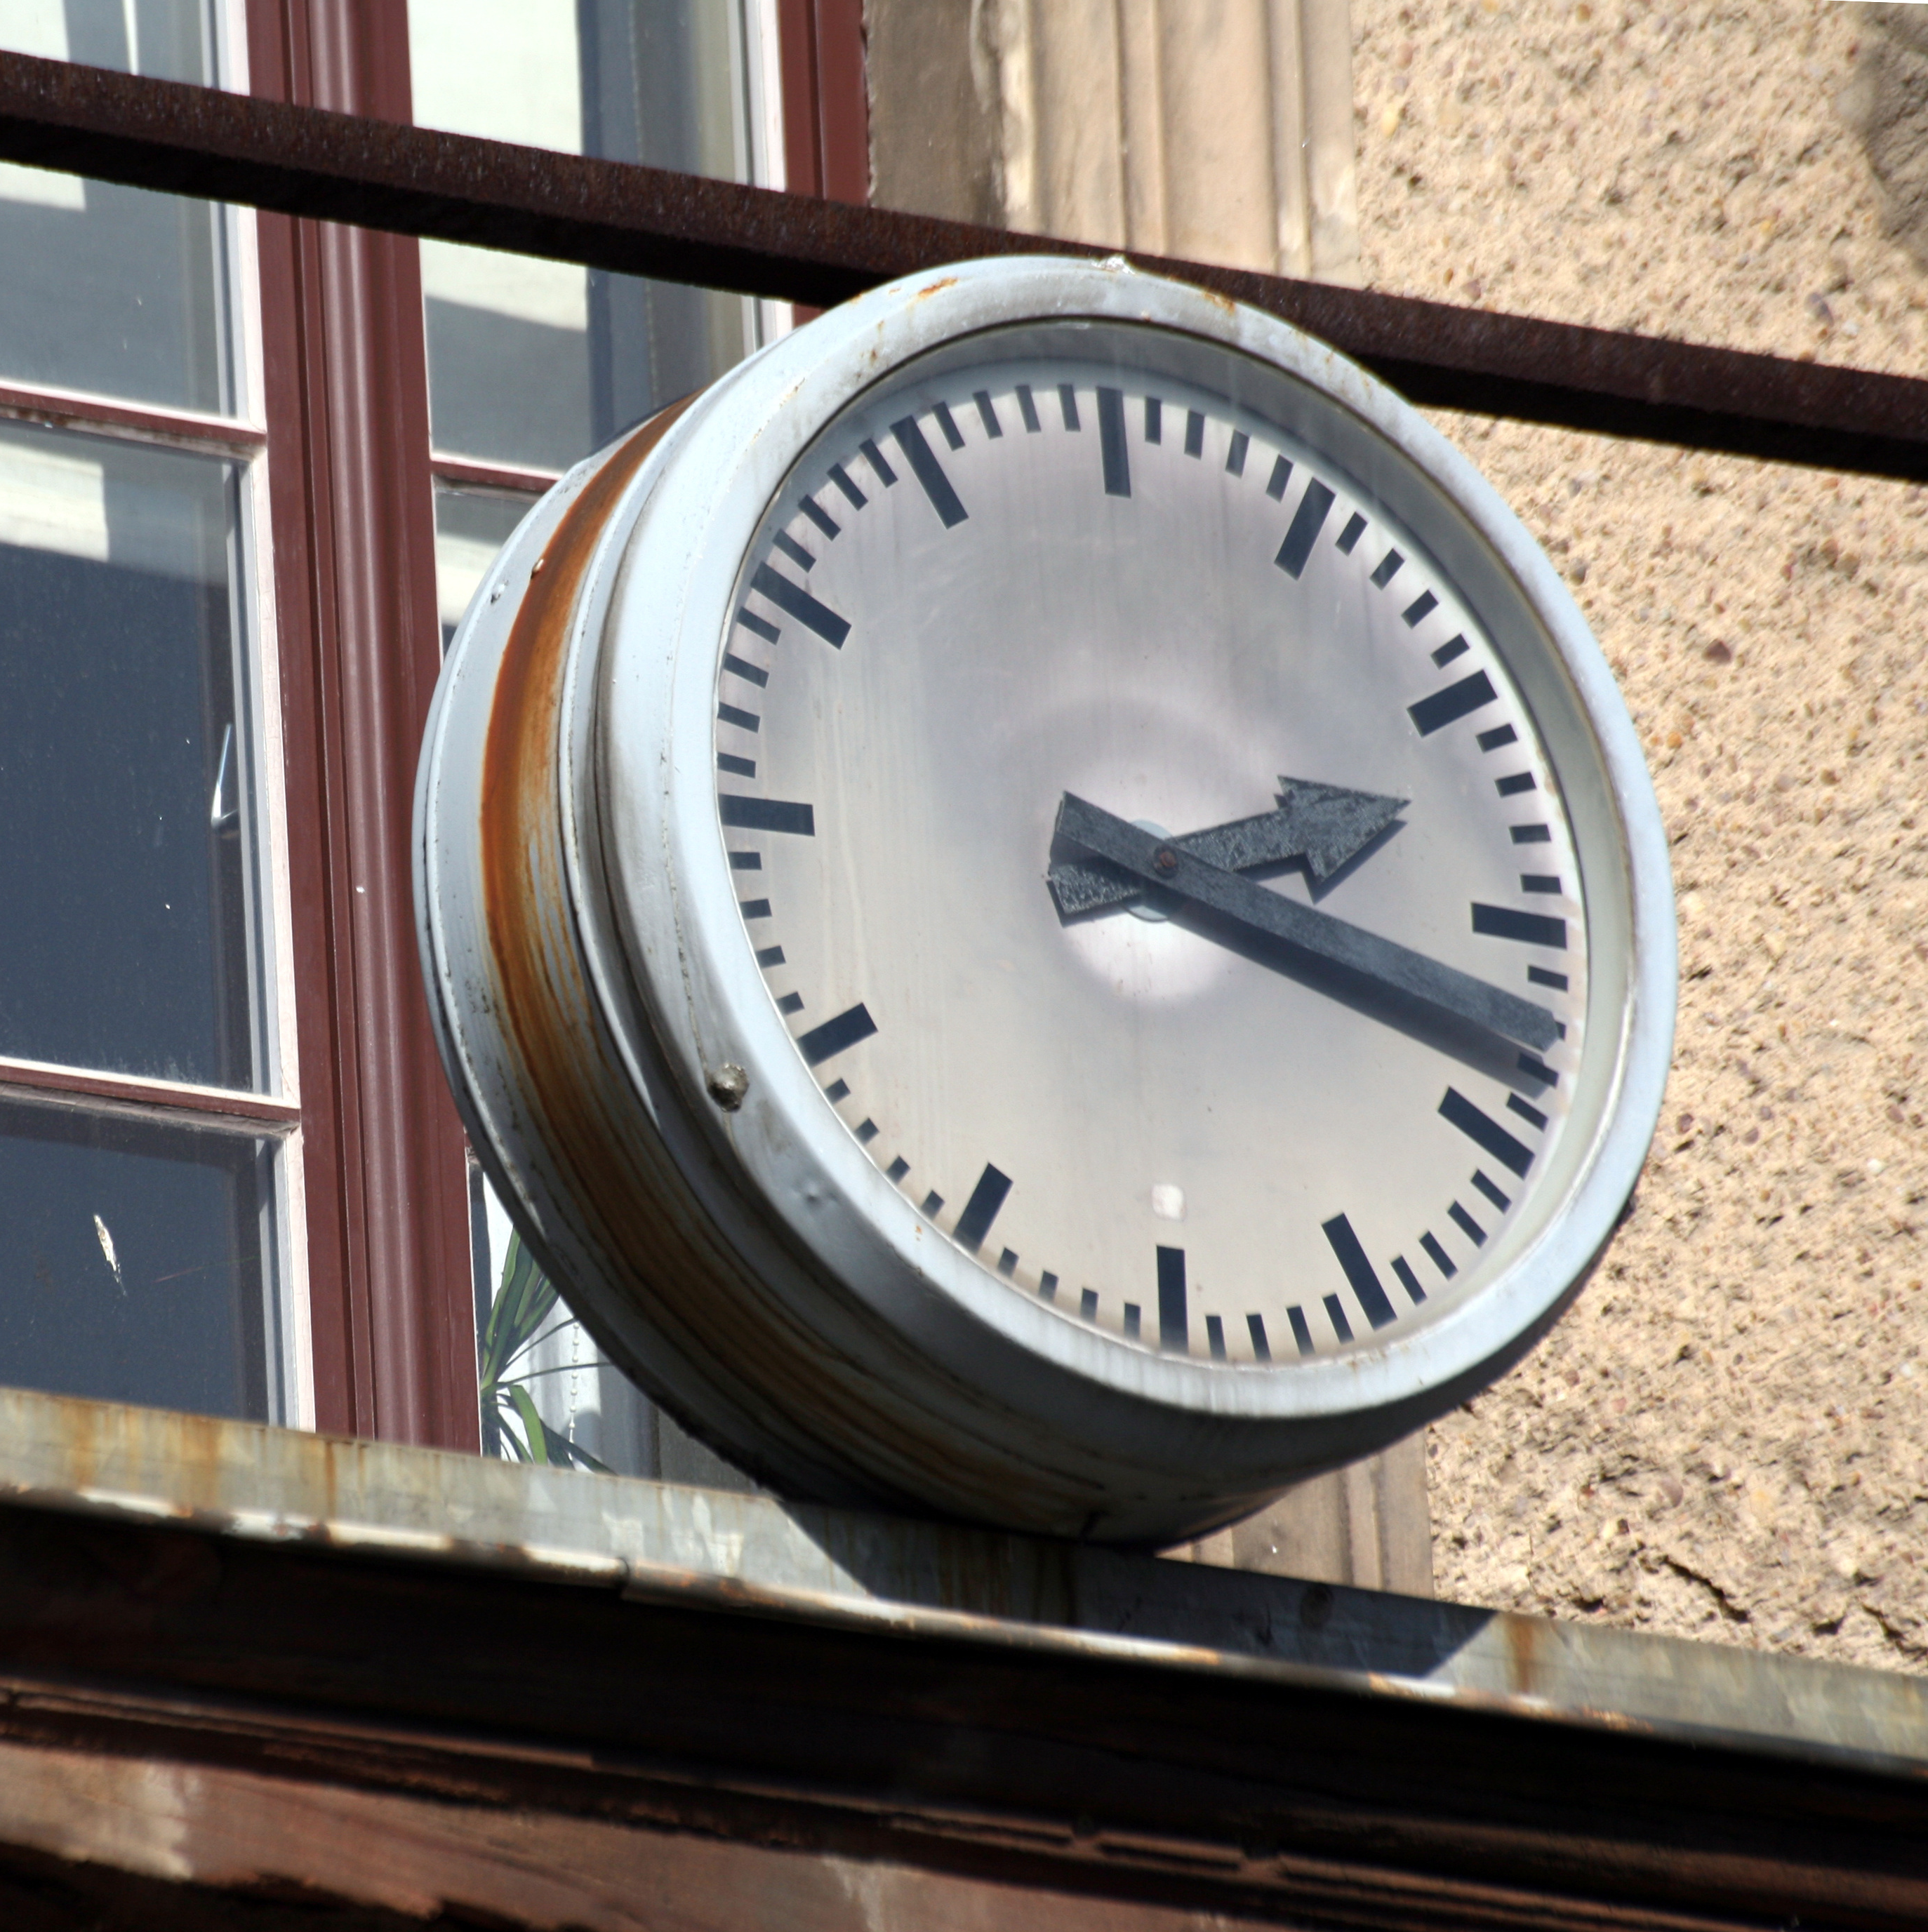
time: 2:18
